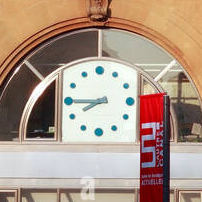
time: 7:44
